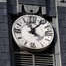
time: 11:07
